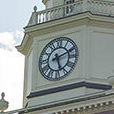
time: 5:11
